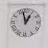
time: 12:57
